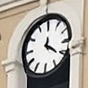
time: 12:20
